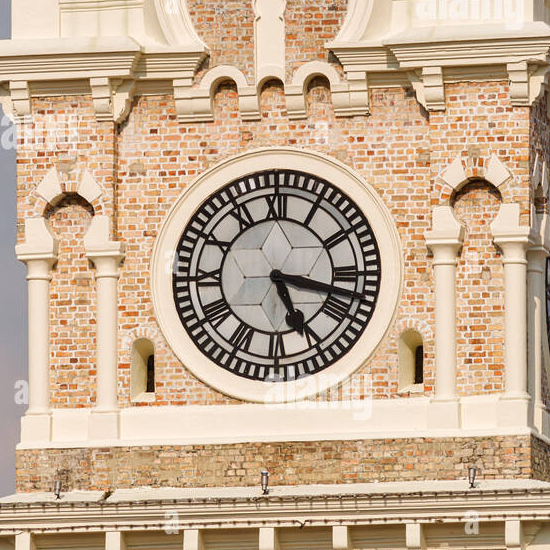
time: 5:17
